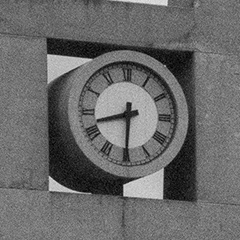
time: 8:30
